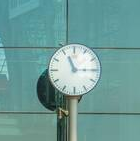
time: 11:14
